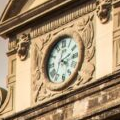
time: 4:12
